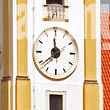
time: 11:38
